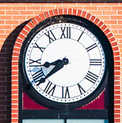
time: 8:38
